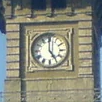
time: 5:00
